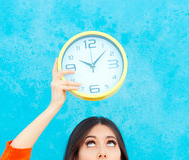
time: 10:07
